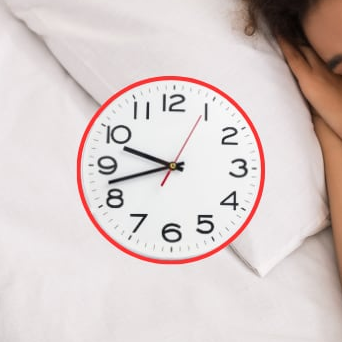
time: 9:42
